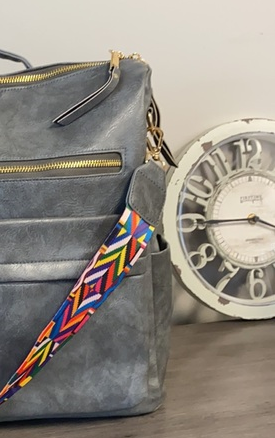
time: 3:44
